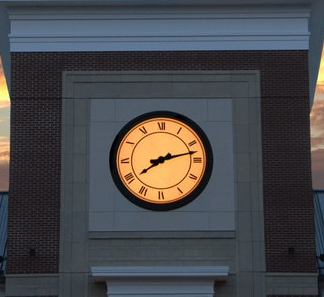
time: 8:12
